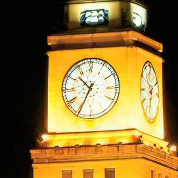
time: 10:34
